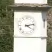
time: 4:13
